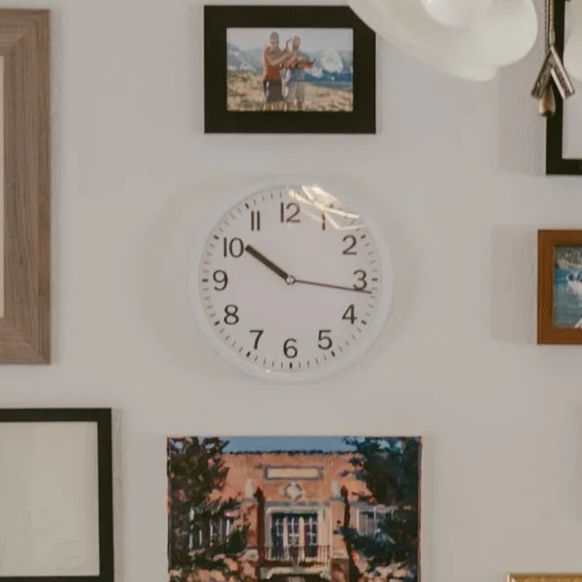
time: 10:16
